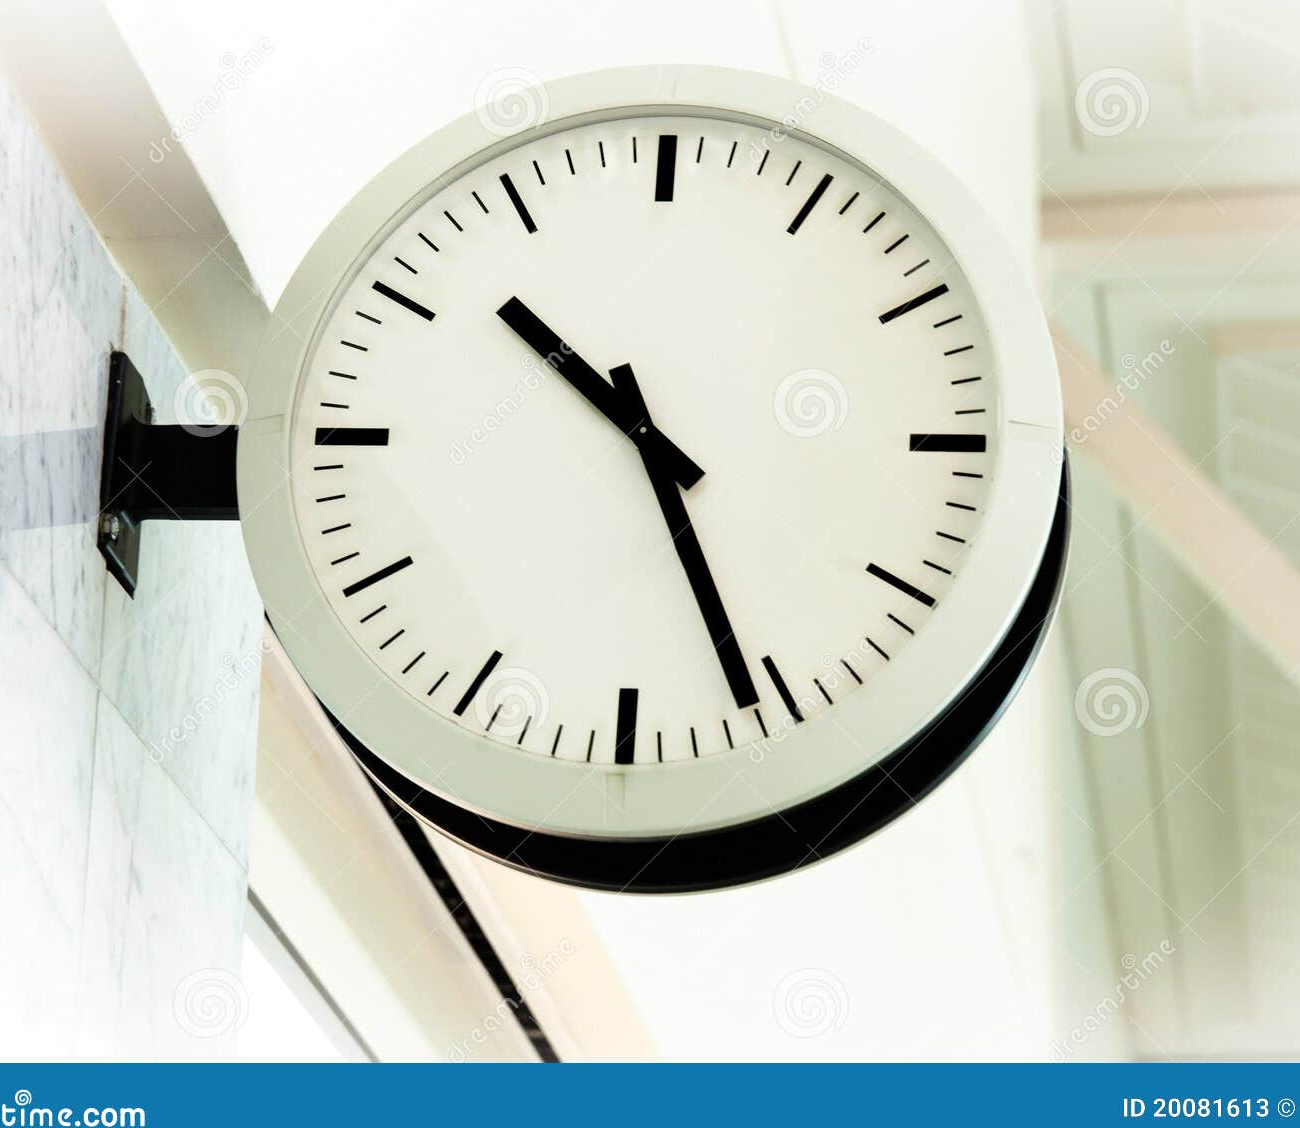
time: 10:26
